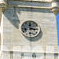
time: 12:16
